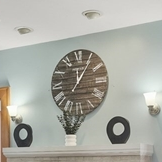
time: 12:05
